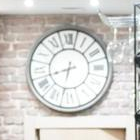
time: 8:32
